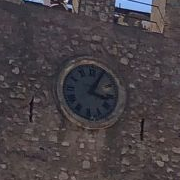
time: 3:04
